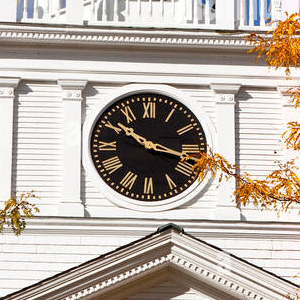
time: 10:17
